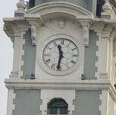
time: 11:31
